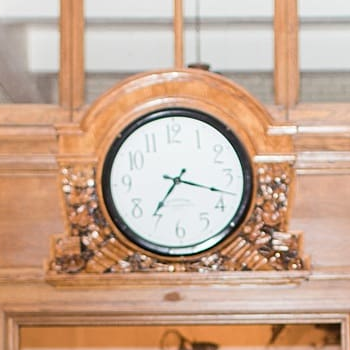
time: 7:17
